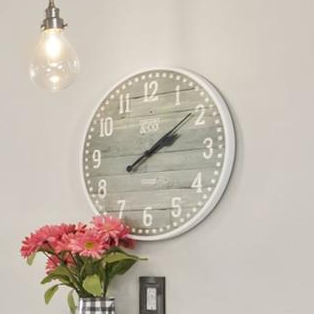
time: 2:09
